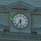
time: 5:36
